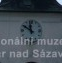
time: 11:50
